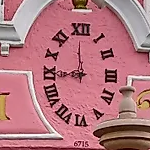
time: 11:44
